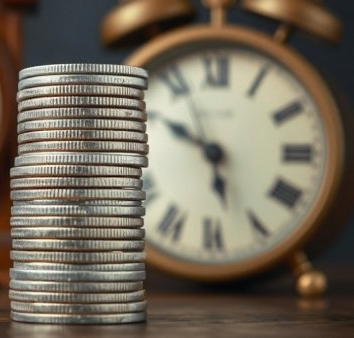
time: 5:49
